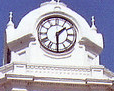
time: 1:29
